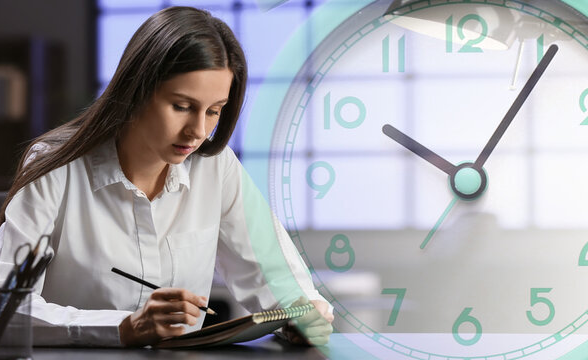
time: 10:05
